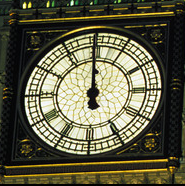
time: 11:59
